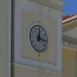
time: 12:15
